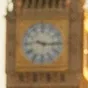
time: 9:14
